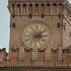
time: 3:08
